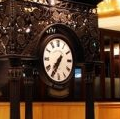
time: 7:35
